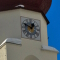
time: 12:49
